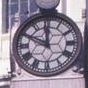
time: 11:49
